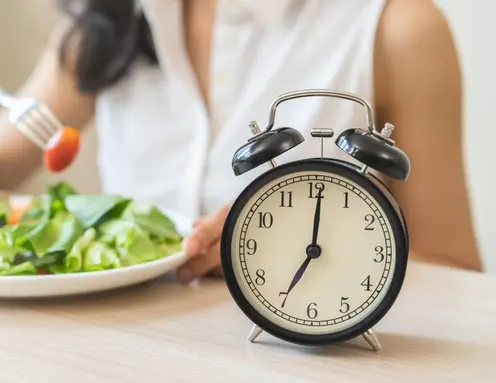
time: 7:00
